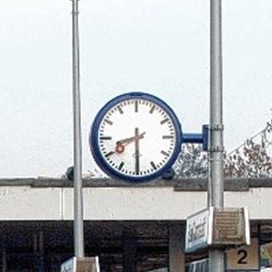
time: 8:29
